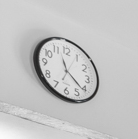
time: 11:21
